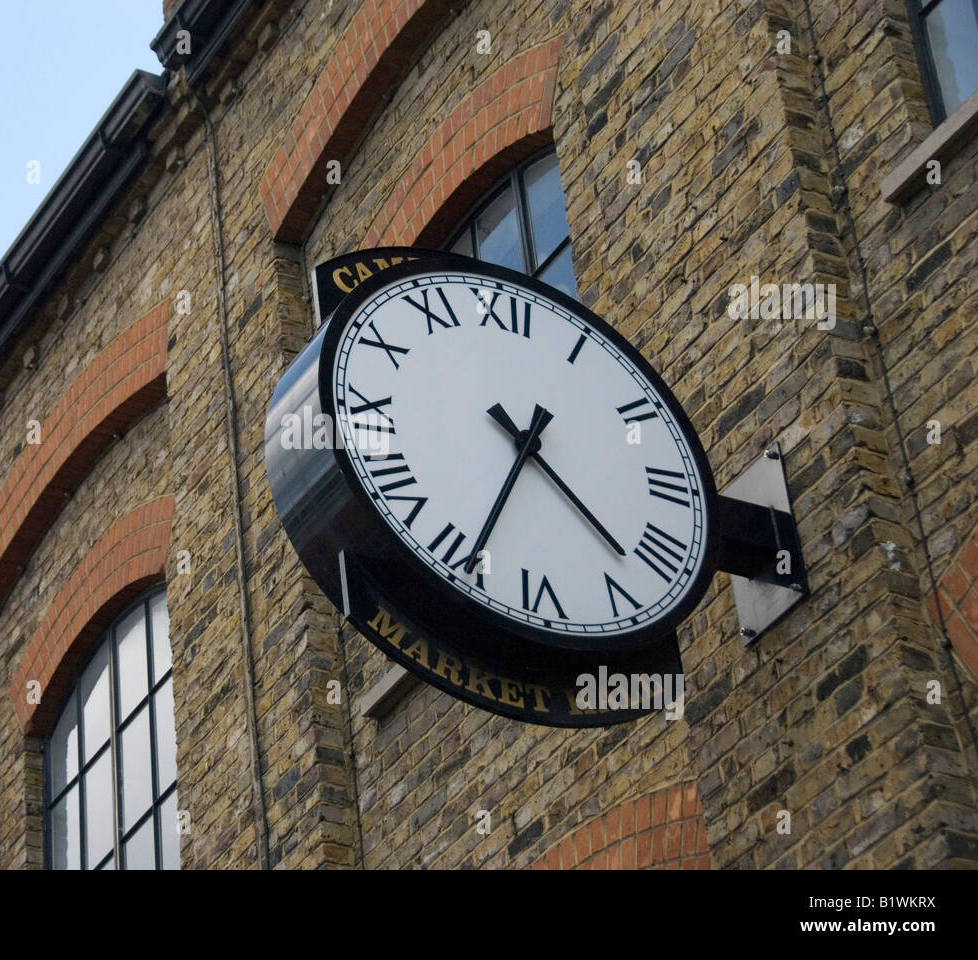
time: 4:34
